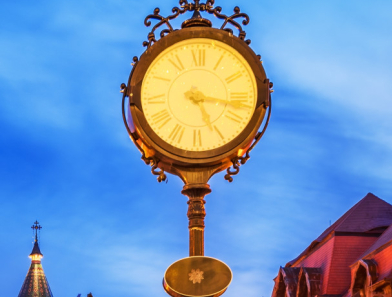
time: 5:17
